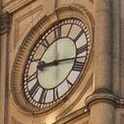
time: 9:17
